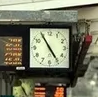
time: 4:54
